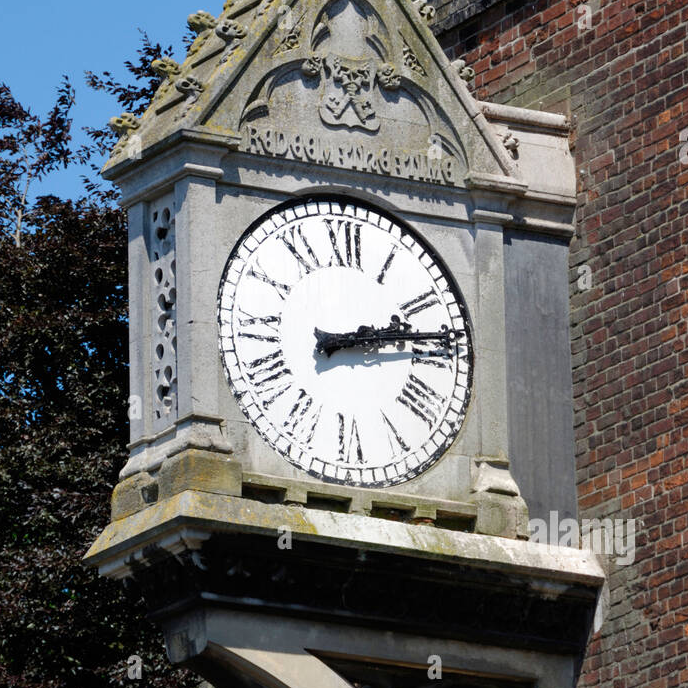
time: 2:12
